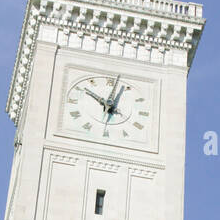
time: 10:02
